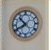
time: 10:40
